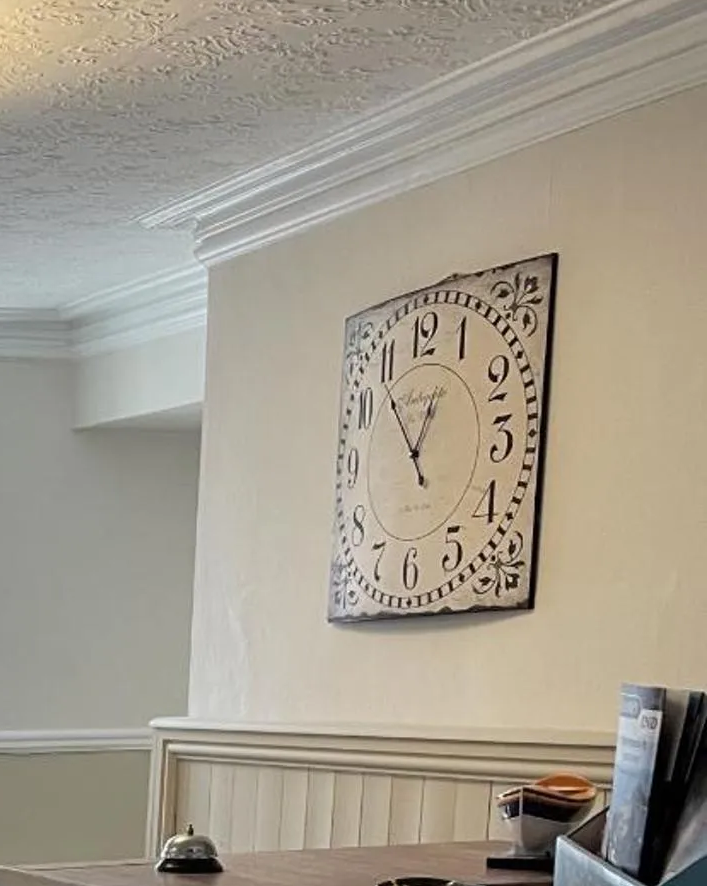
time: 12:53
